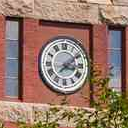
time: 3:09
